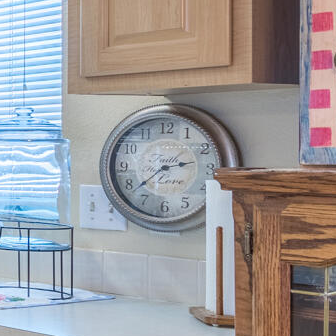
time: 2:38
